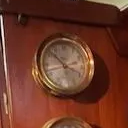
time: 3:52
